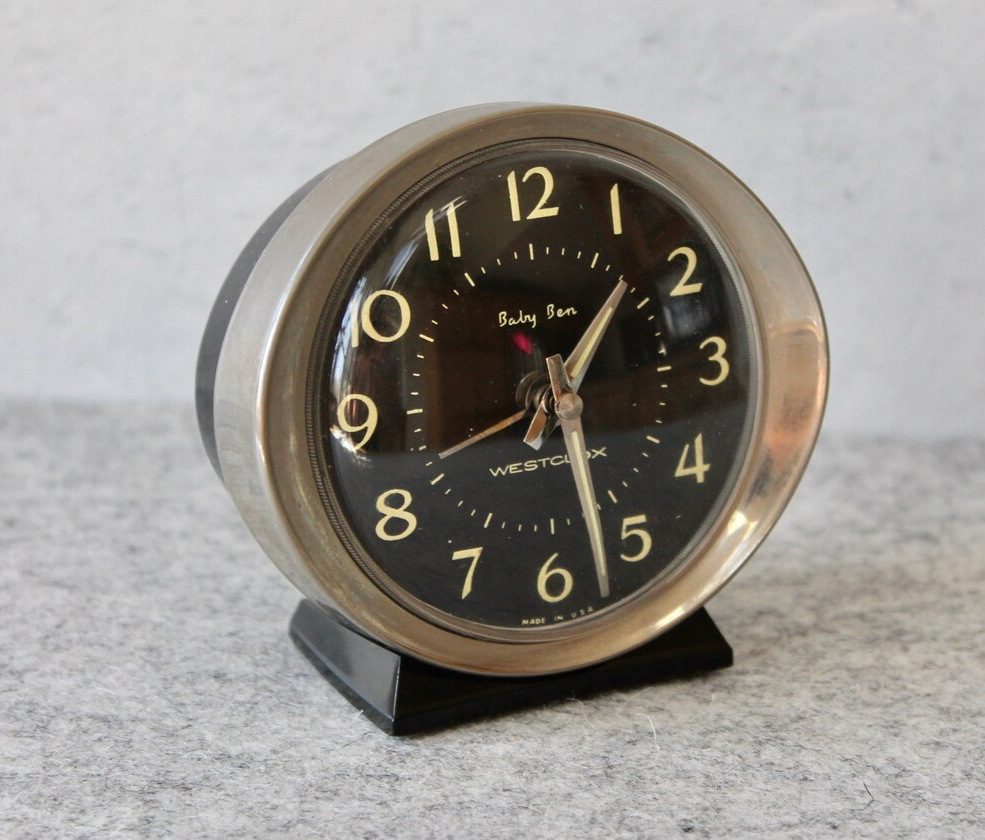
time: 1:27
